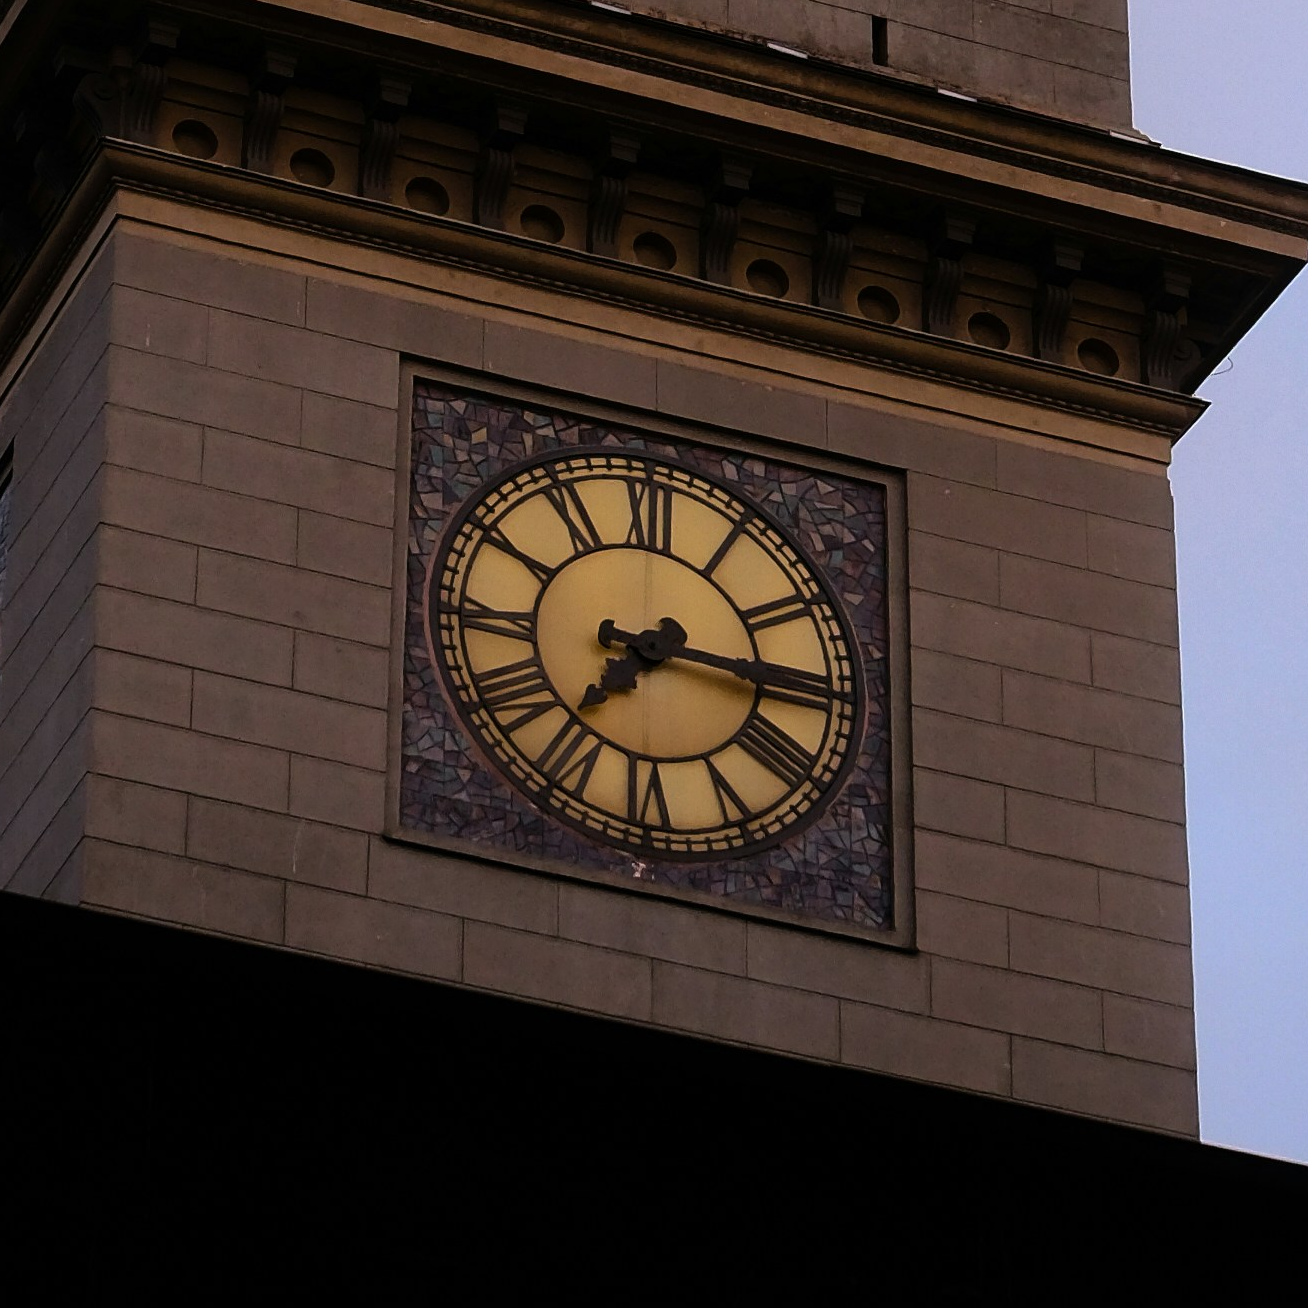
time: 7:15
